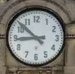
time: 8:51
